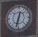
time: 12:32
